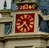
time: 7:24
